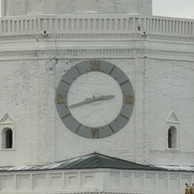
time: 2:42
